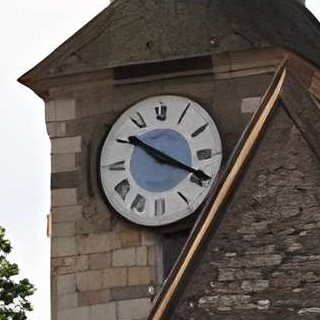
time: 10:19
